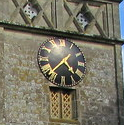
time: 4:37
